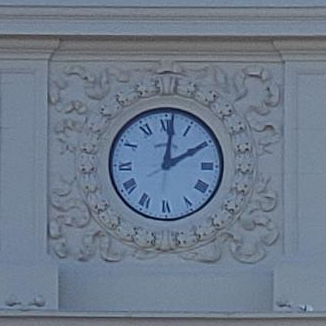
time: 2:01
